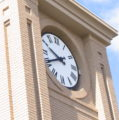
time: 9:40
